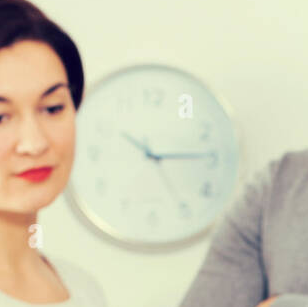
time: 10:14
